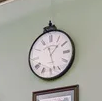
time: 1:27
